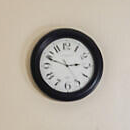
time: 2:48
